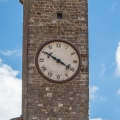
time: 10:20
